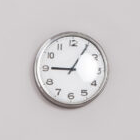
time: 9:05
